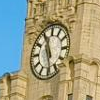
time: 11:28
